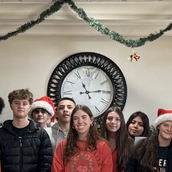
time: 11:14
